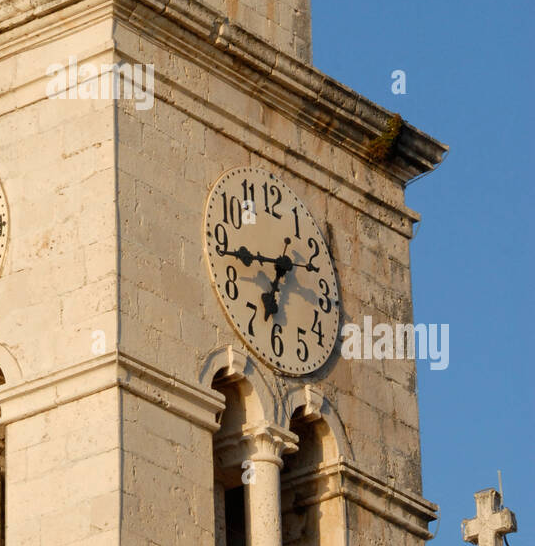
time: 6:43
